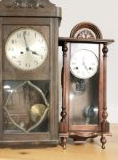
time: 3:58
